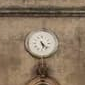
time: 5:22
